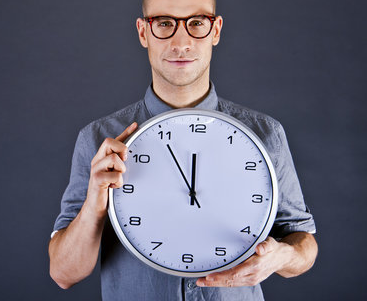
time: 11:54
